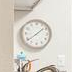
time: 1:38
